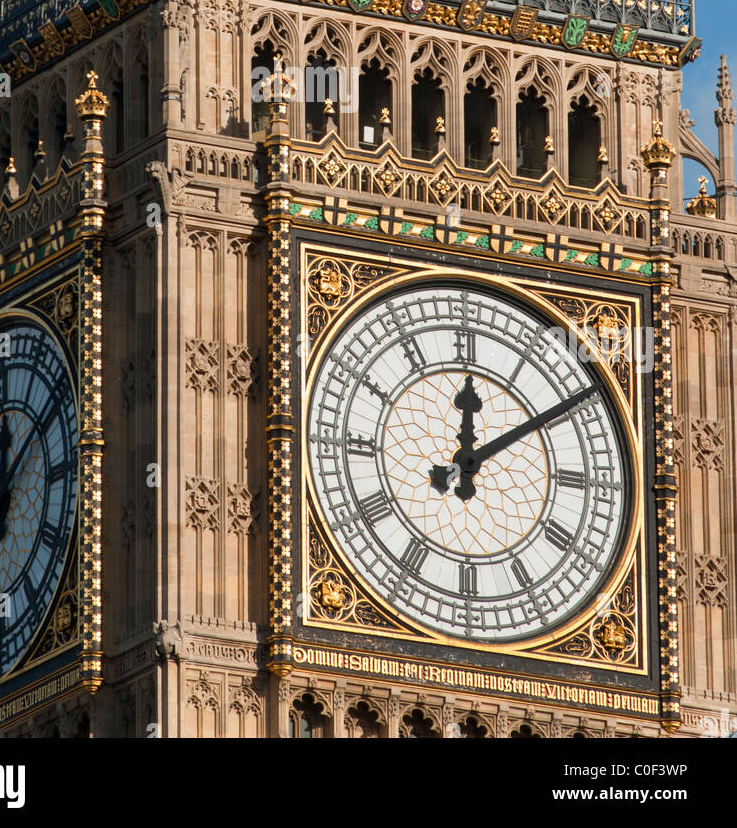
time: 12:09
